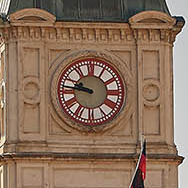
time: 9:45
